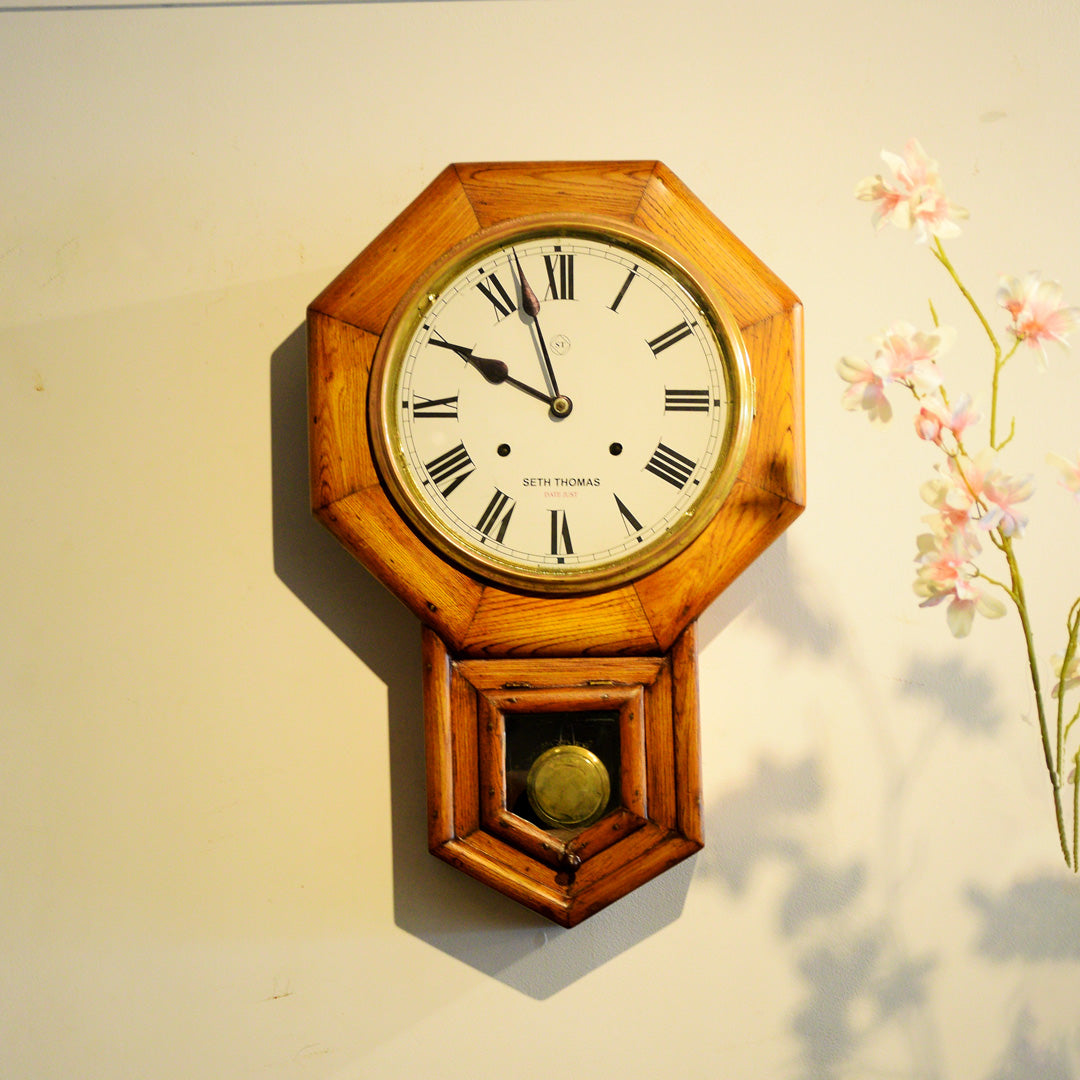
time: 9:57
